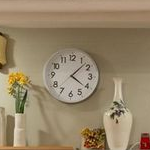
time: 4:07
